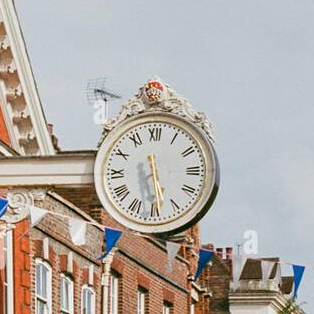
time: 11:28
